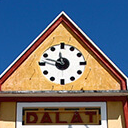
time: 11:47
